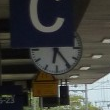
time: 6:24
